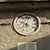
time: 10:02
